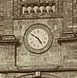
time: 4:50
